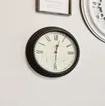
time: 12:30
